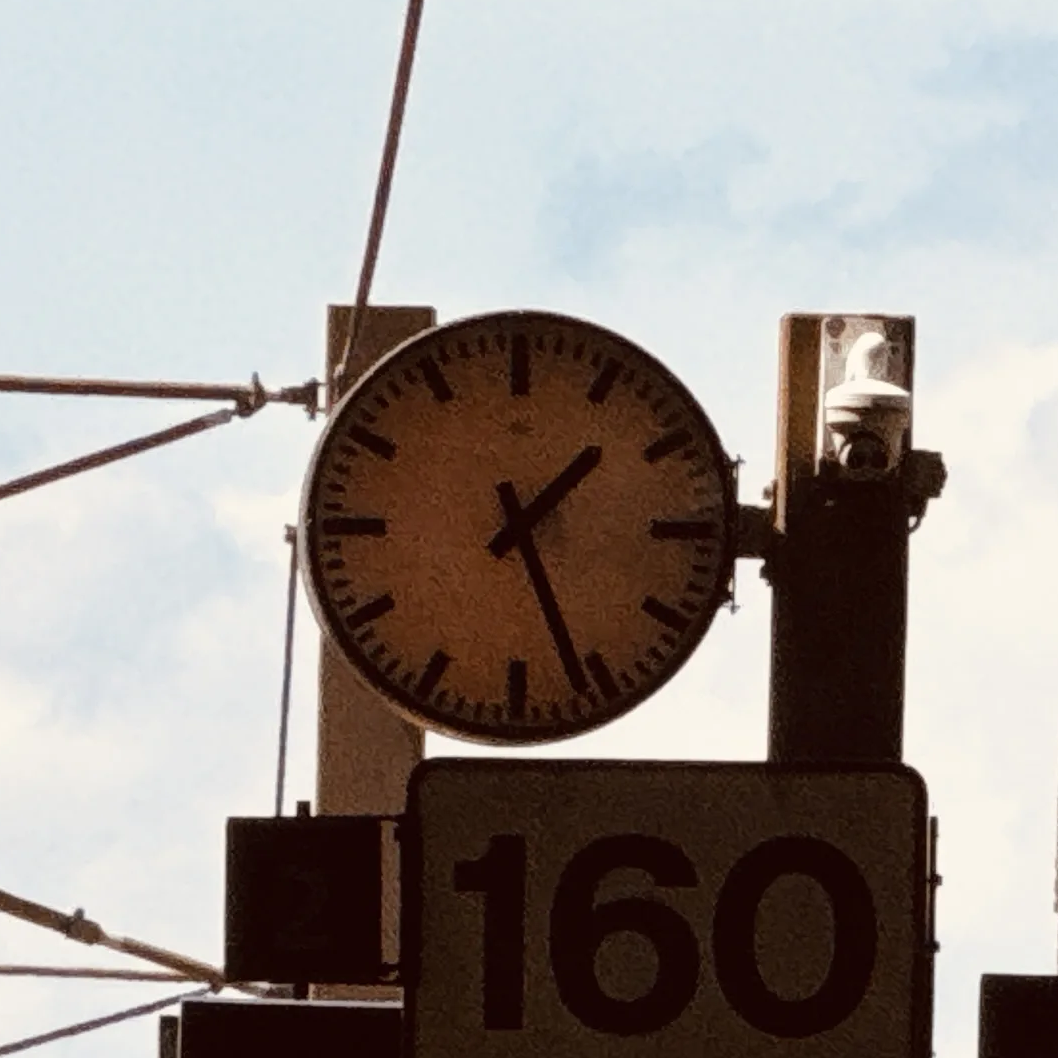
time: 1:26
